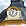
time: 11:02
